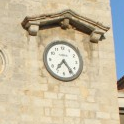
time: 7:23
